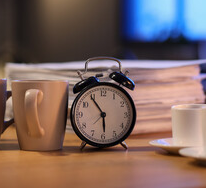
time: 5:54
